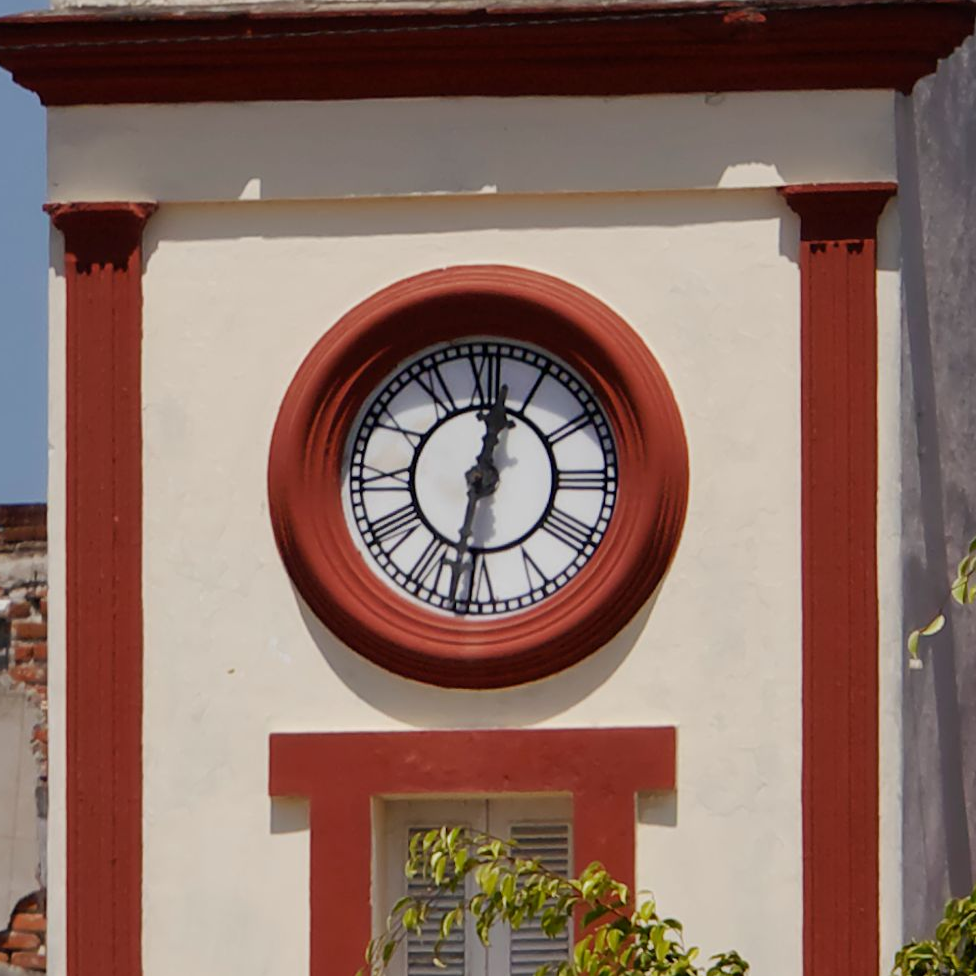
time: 12:32
